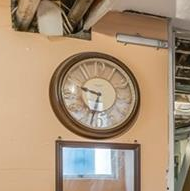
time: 9:32
